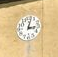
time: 3:02
